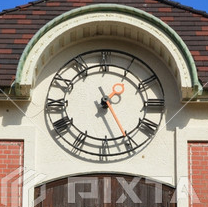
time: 1:26
